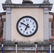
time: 6:50
